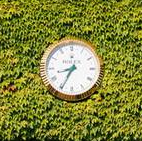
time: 8:34
